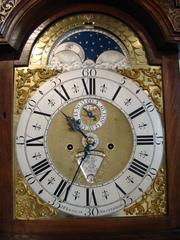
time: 10:34
